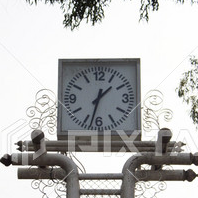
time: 1:32
